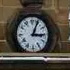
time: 3:04
